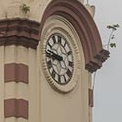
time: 8:46
